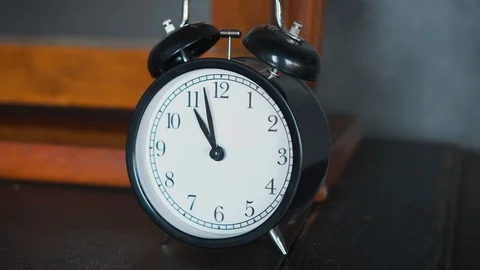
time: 10:57
